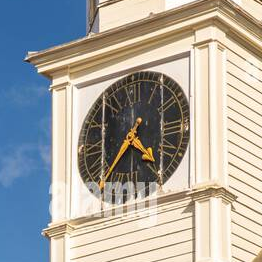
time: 4:36
